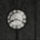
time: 8:18
